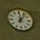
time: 12:06
